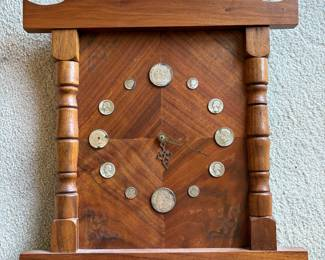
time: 5:44
